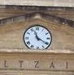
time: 11:20
